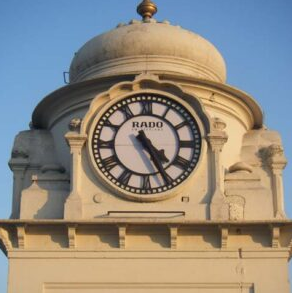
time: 4:25
